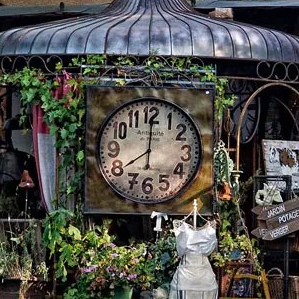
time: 8:00
